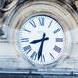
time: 8:32
